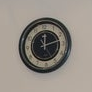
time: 12:13
